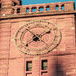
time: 1:53
